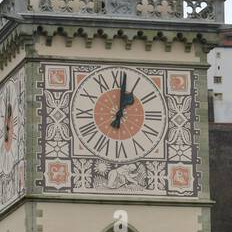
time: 1:01
